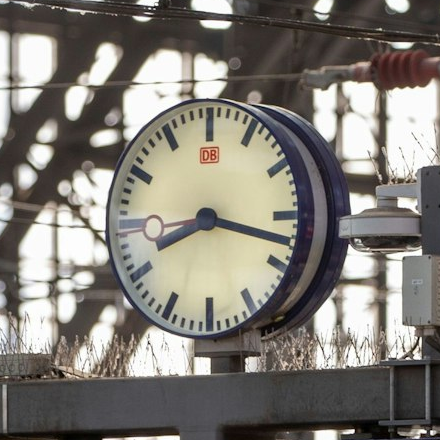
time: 8:17
